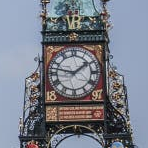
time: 1:47
